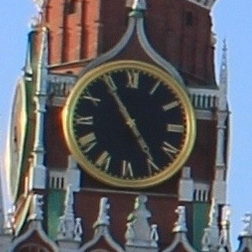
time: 4:54
